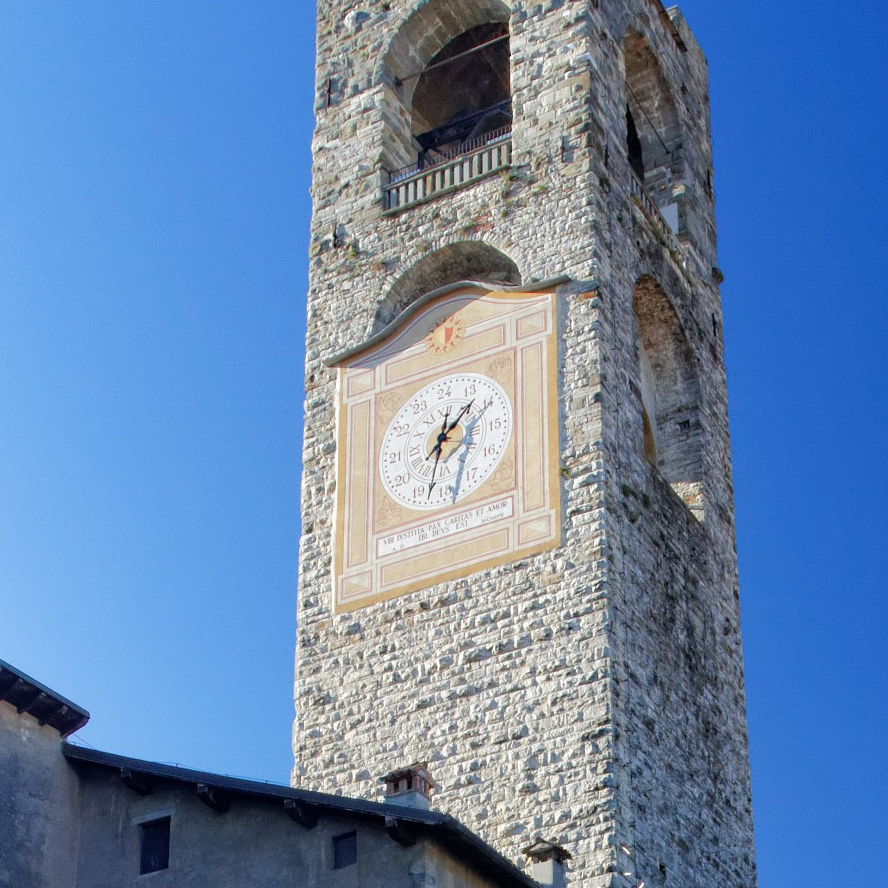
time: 1:32
